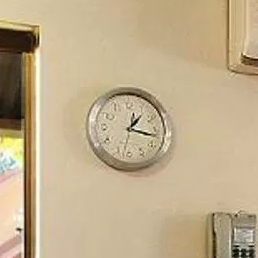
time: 1:16
